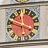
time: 3:48
